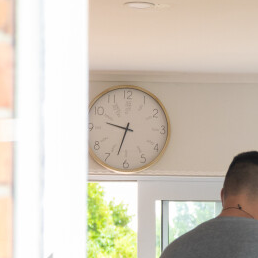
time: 9:32
